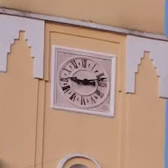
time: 9:12
